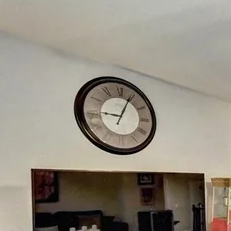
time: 9:04
